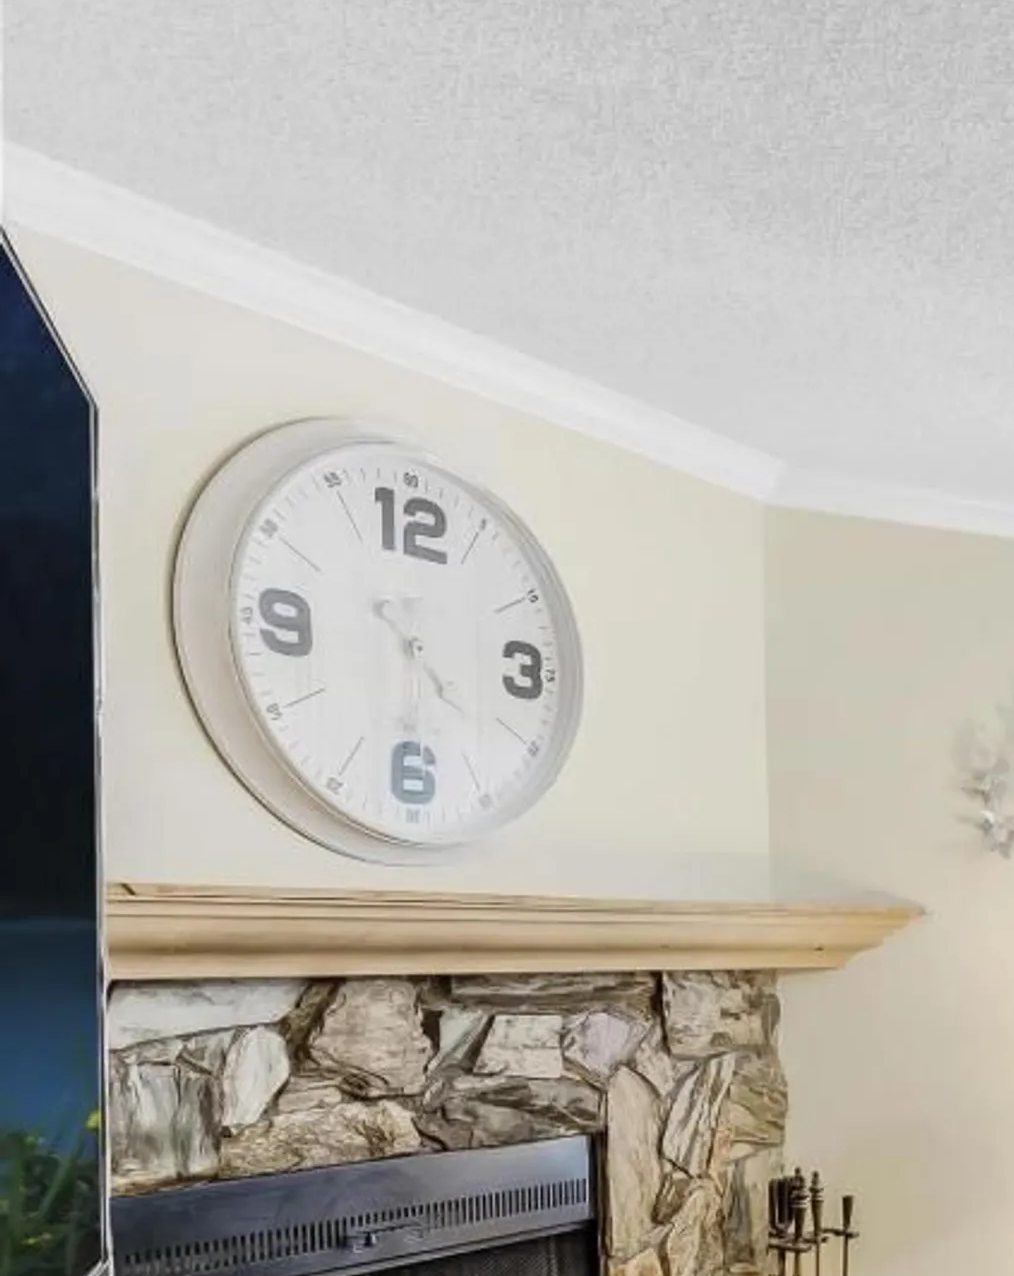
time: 4:31
